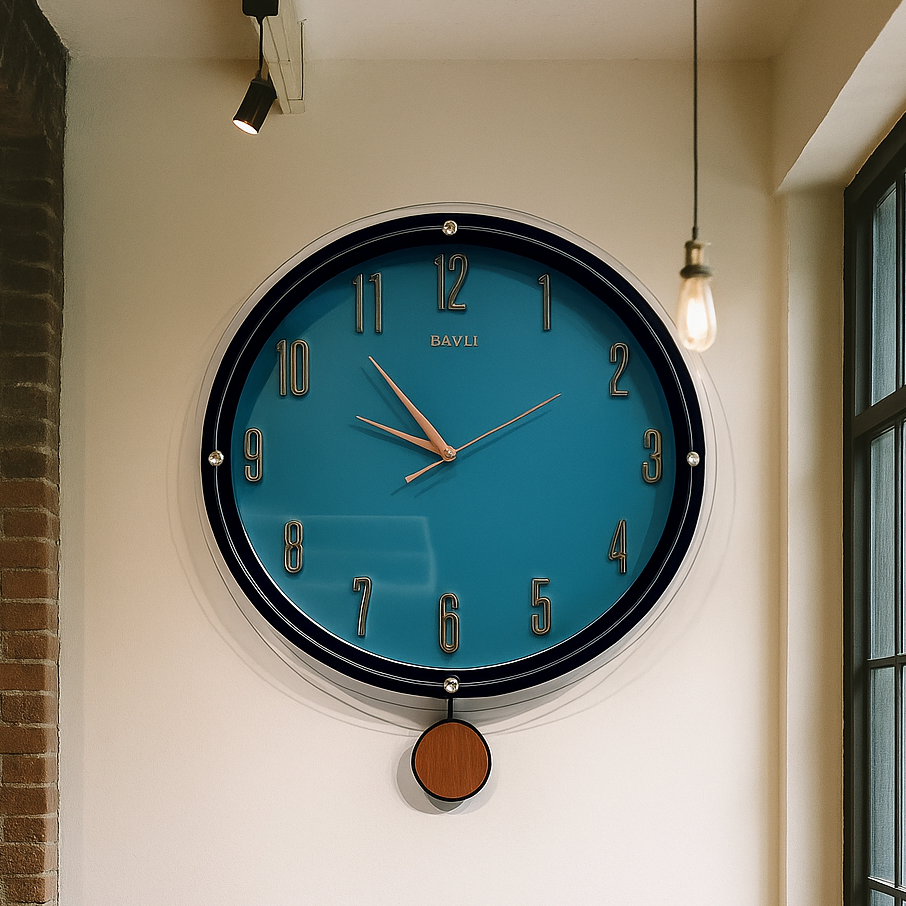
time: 9:53
